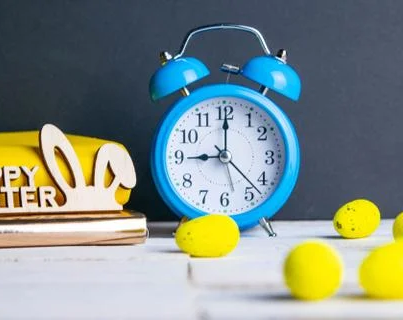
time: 9:00
